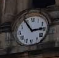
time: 2:54
